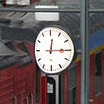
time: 12:14
